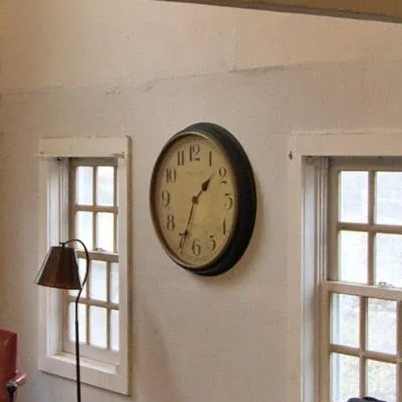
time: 1:34
